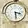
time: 3:29
